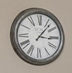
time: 3:06
